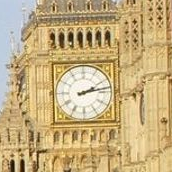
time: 2:13
